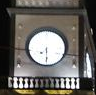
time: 7:28
